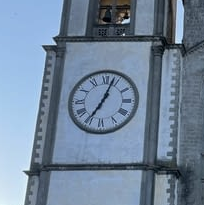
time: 7:03
